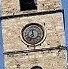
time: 11:35
